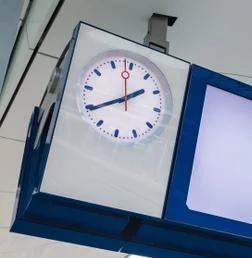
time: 1:39
